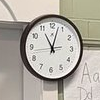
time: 11:02
